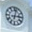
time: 3:02
